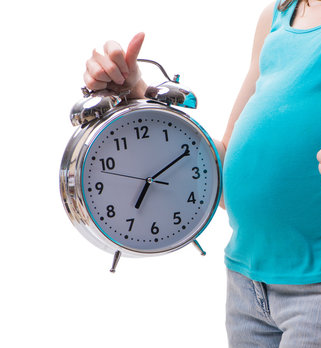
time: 7:10
